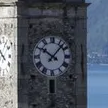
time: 10:07
